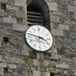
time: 3:47
